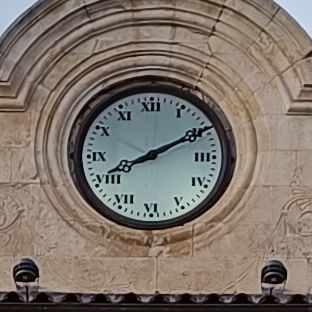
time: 8:10
